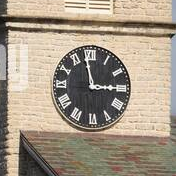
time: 2:58
